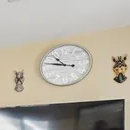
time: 10:47
